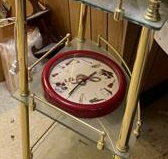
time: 1:35
